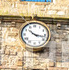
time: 10:17
